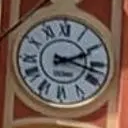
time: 2:17
